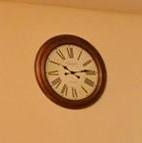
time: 10:13
